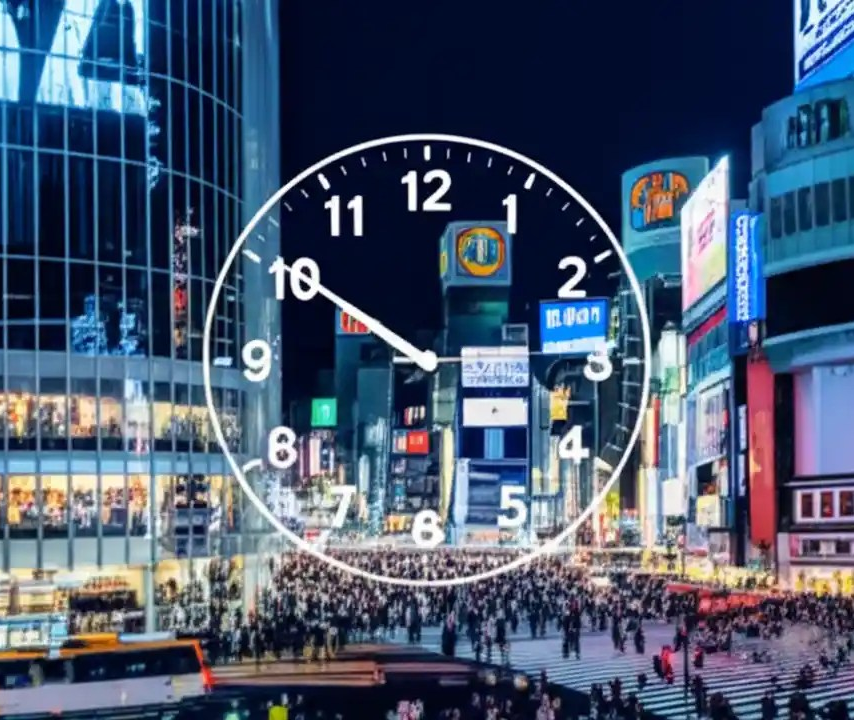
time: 9:50
